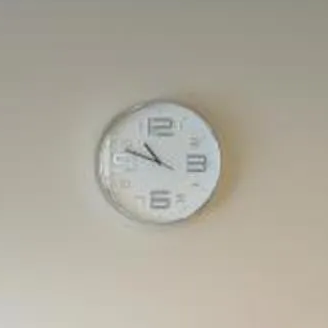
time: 10:48
